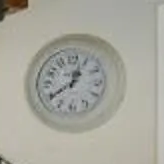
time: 12:39
